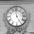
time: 4:58
